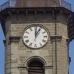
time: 12:04
